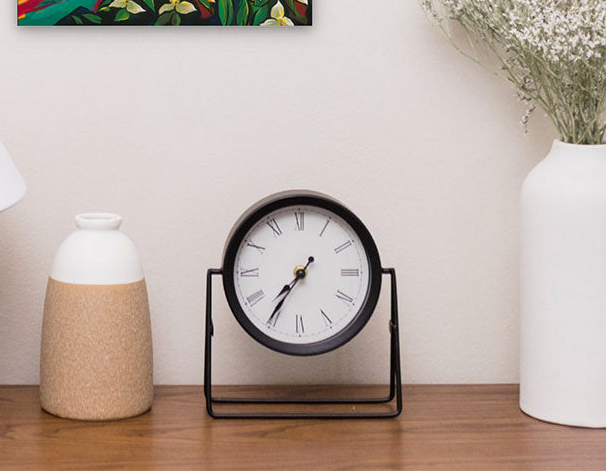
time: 7:35
